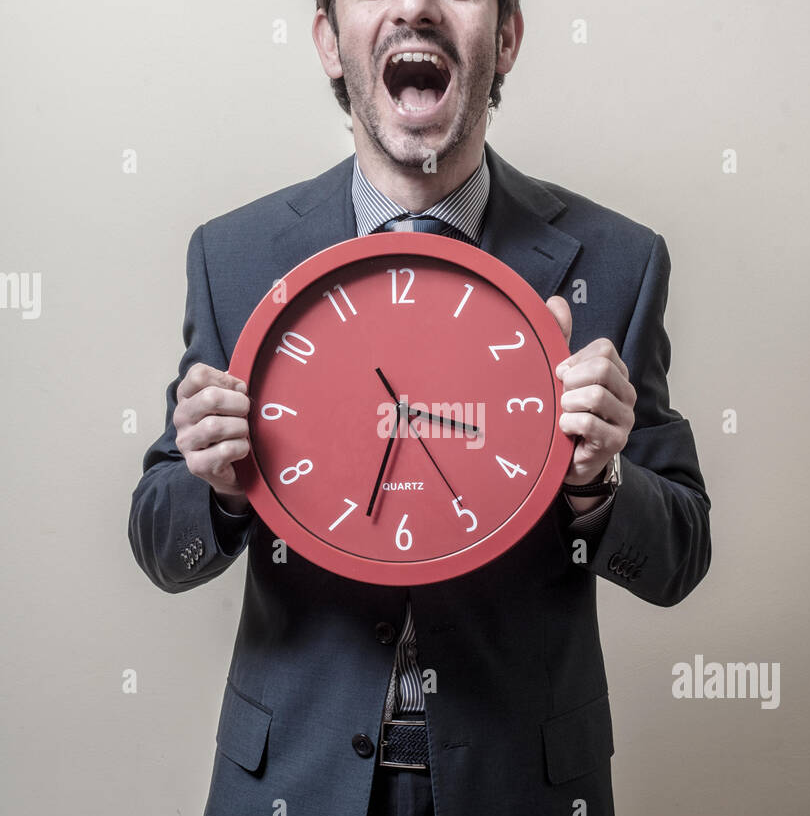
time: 3:32
